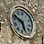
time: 5:49
